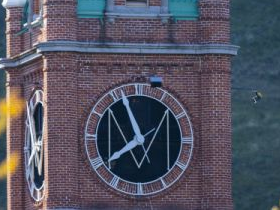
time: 7:56
